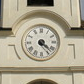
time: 4:22
